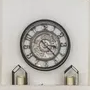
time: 3:23
